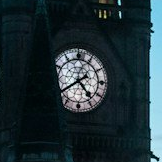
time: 4:39
